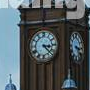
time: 3:22
